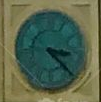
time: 3:22
